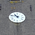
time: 10:47
